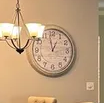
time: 12:58
